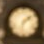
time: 1:32
